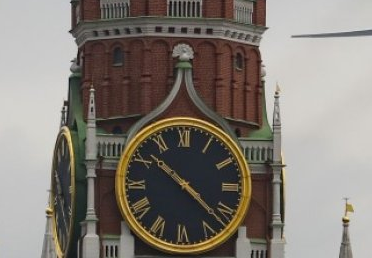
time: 10:22
